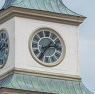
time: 2:36
